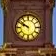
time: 9:50
